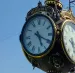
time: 5:19
